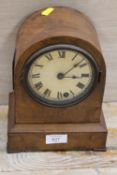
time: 3:08
